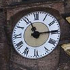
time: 11:14
